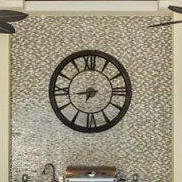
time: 6:43
